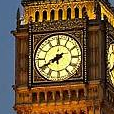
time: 7:40
